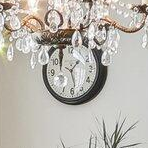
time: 1:28
